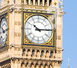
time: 10:14
